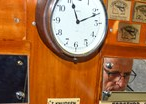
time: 11:11
